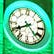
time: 4:40
